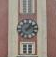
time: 2:06
